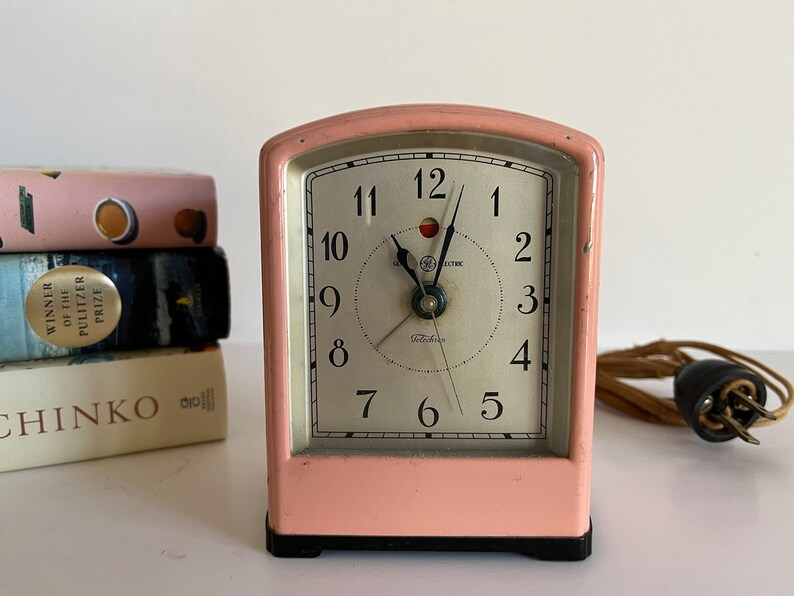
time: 11:02
